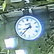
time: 8:38
